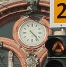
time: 4:22
